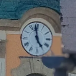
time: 4:58
